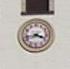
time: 3:42
